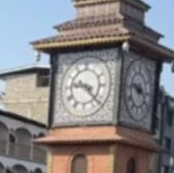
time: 9:22
